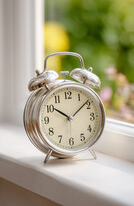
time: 10:08
